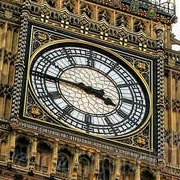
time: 3:45
